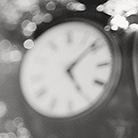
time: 5:08
